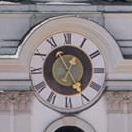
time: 4:55
